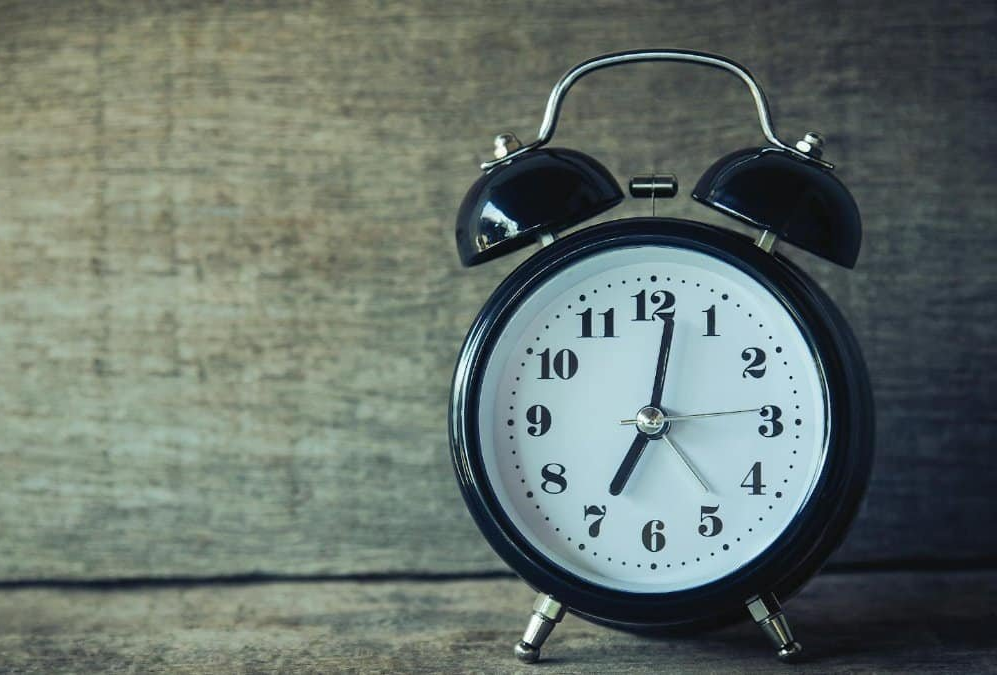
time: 7:01
